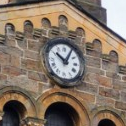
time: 10:05
